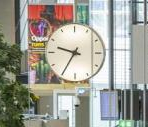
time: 9:35
